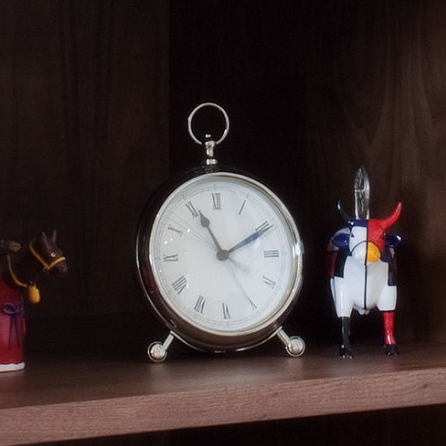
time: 11:10
